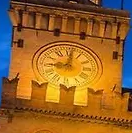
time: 9:01
